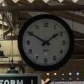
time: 1:50
